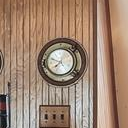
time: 7:49
